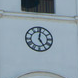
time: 5:01
